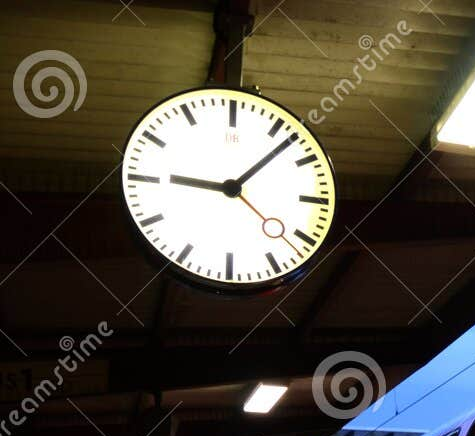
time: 9:07
